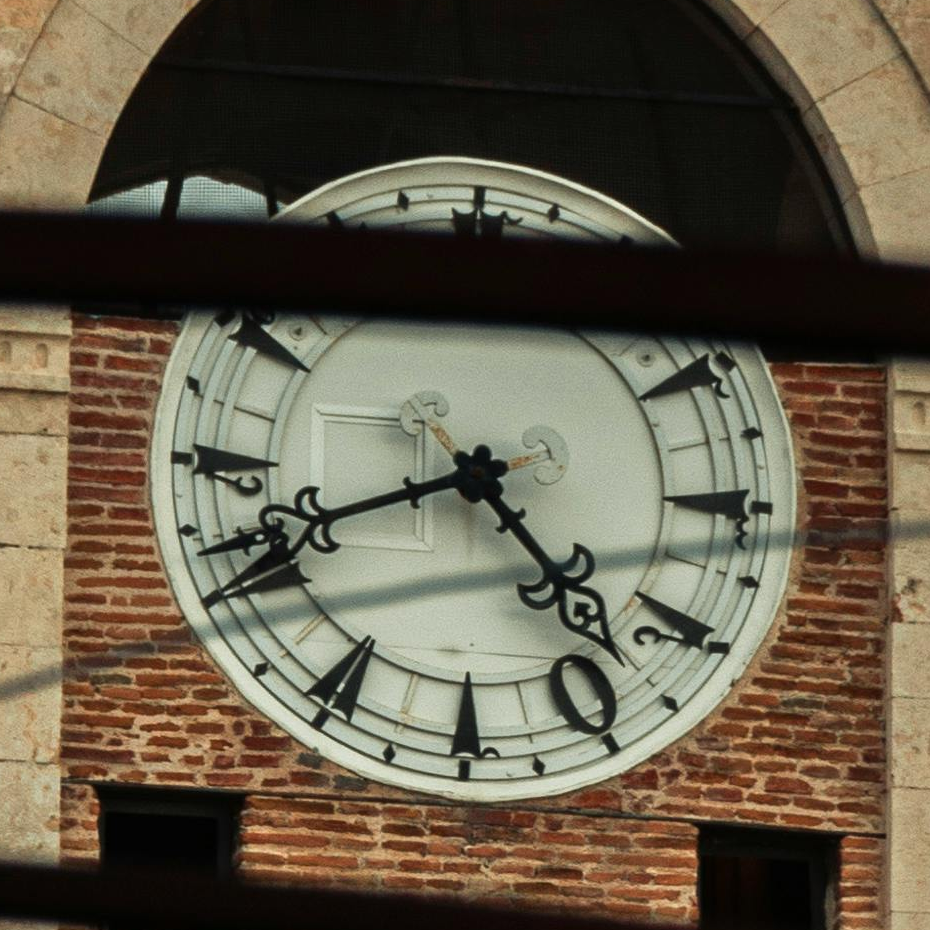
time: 4:41
